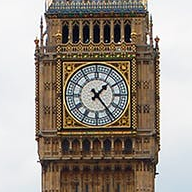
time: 1:23
